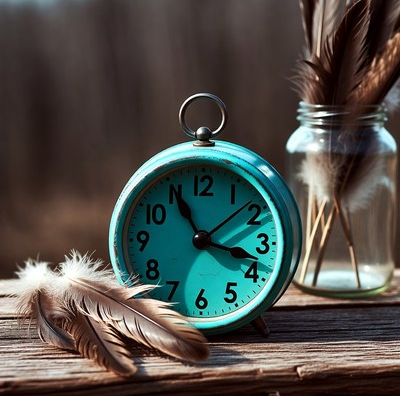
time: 3:55
